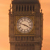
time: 3:48
